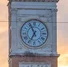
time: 6:55
